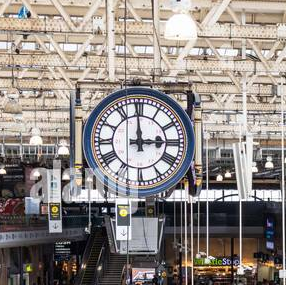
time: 2:59
